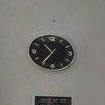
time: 10:35
